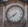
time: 7:40
